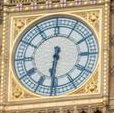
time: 6:31
